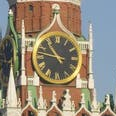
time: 10:47
